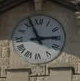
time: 2:56
